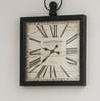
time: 9:37
